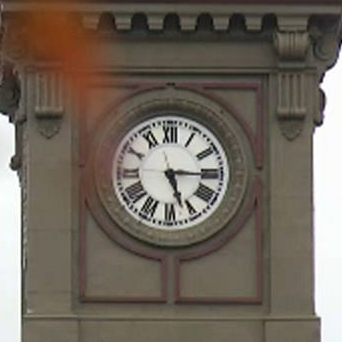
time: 5:15
